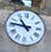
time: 10:46
